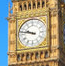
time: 9:47
